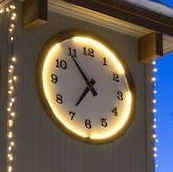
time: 6:54
